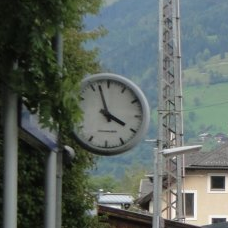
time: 3:57
